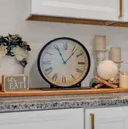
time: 11:06
